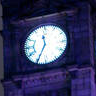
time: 11:34
